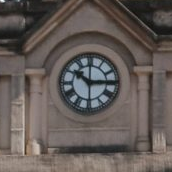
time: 10:14
